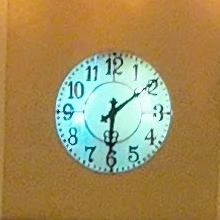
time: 6:09
